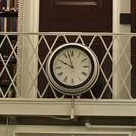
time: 9:57
